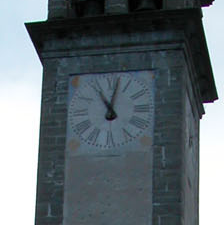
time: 11:02
